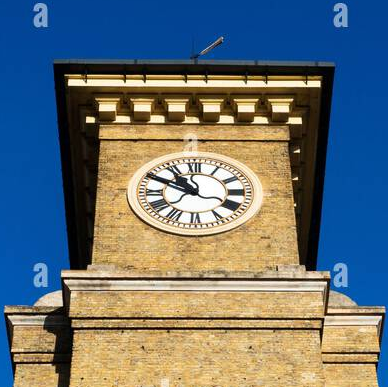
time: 10:50
